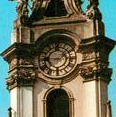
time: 1:43
